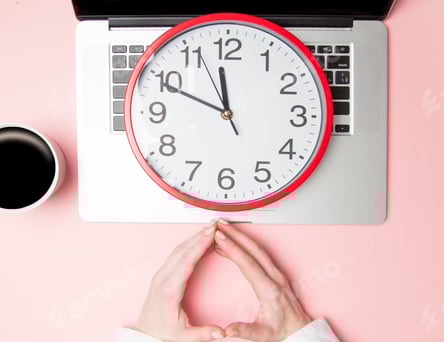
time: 11:49
